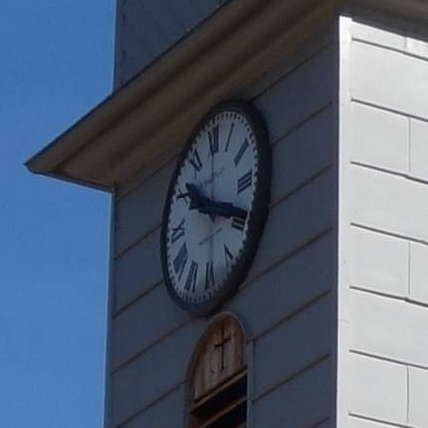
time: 10:19
